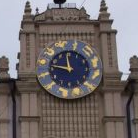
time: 11:46
